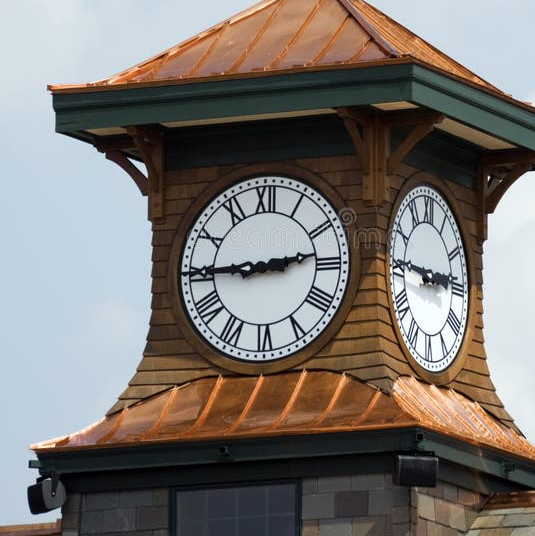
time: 2:44
